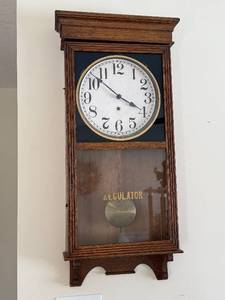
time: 3:52
